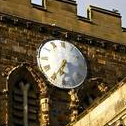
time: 6:34
